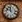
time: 11:46
